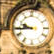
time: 9:43
